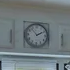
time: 1:53
